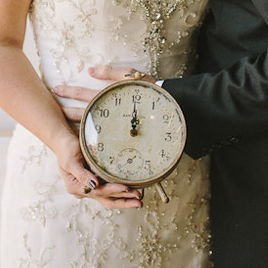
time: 11:59
